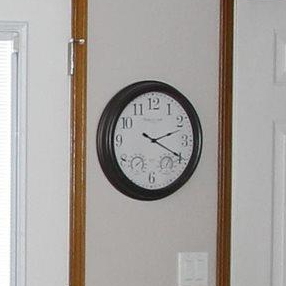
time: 2:19
